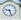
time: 9:27
